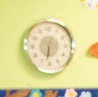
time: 6:32
